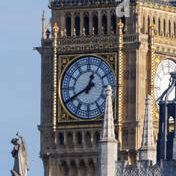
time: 12:40
